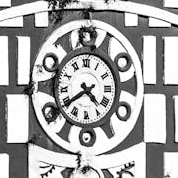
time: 4:39
